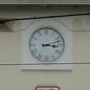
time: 3:12
